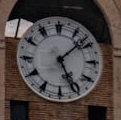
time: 5:08
